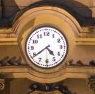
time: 4:39
